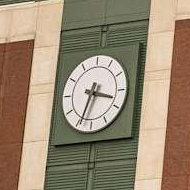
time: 3:33
